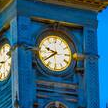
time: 9:39
